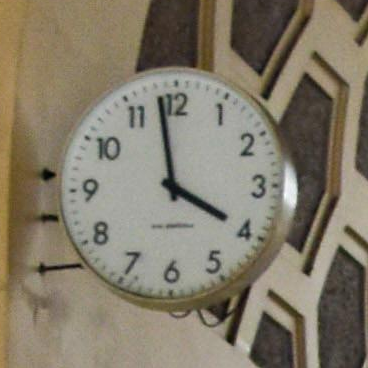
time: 3:58
